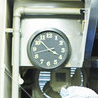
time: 3:52
